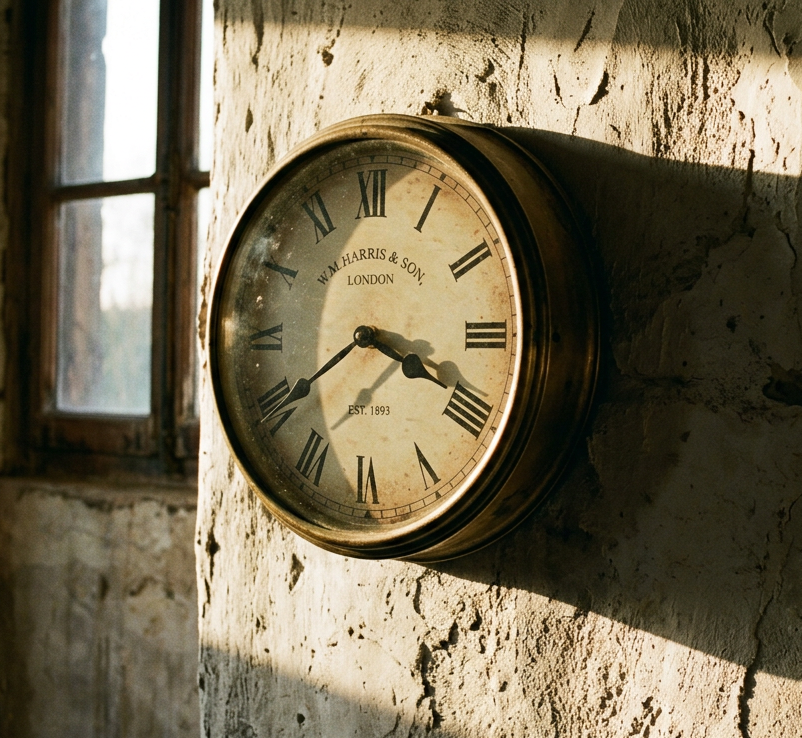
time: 3:39
